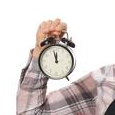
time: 11:57
